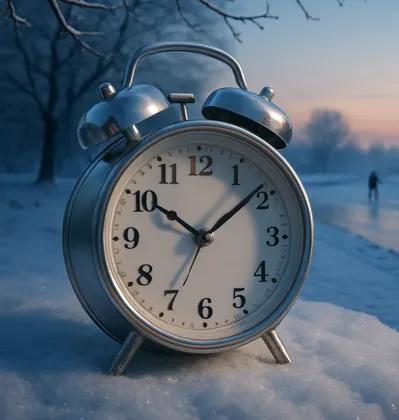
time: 10:08
